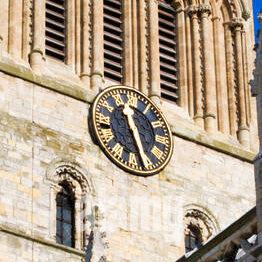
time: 11:28
